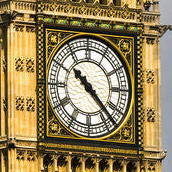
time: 10:22
